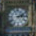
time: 2:14
